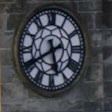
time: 5:40
